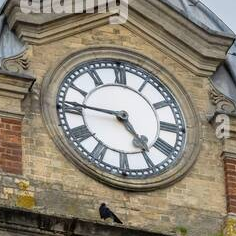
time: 4:46
